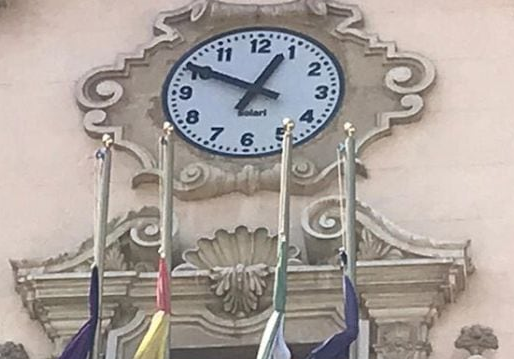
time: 12:49
